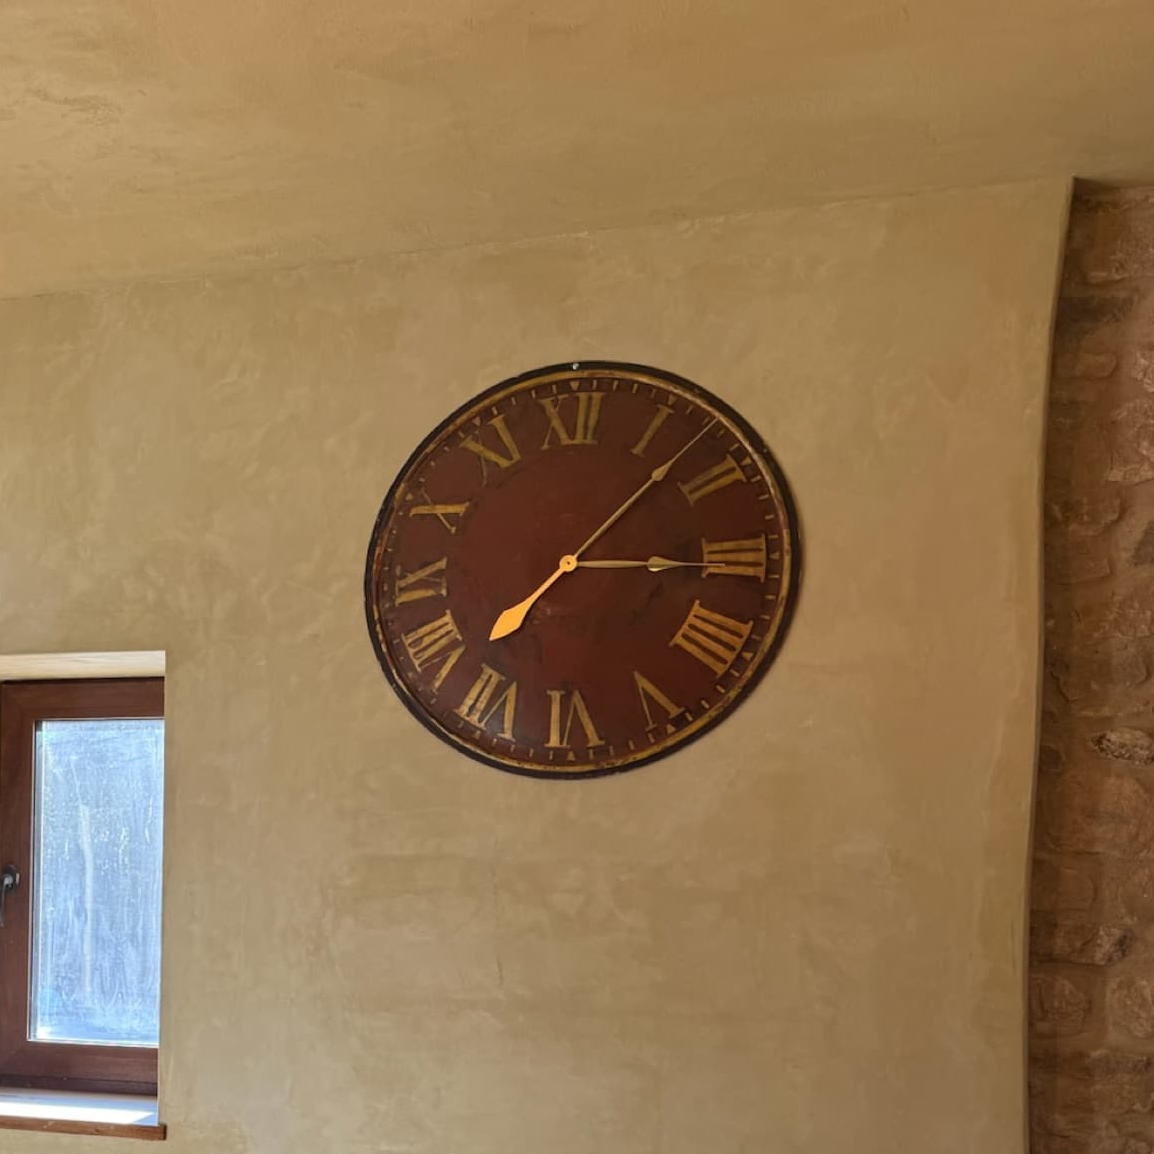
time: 3:07
